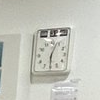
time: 6:03
